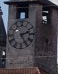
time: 2:24
